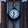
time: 11:32
